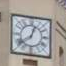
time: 12:38
